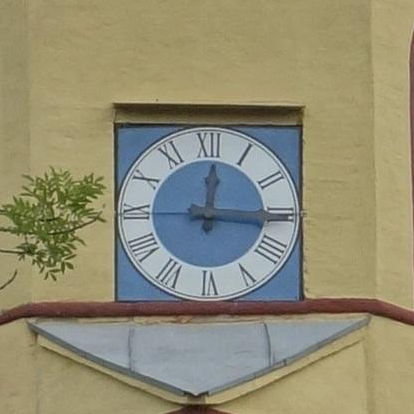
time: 12:15
